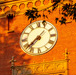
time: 7:37
